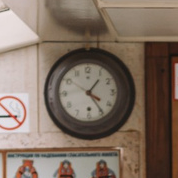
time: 1:24
